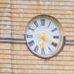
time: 6:18
